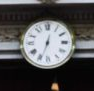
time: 12:33
